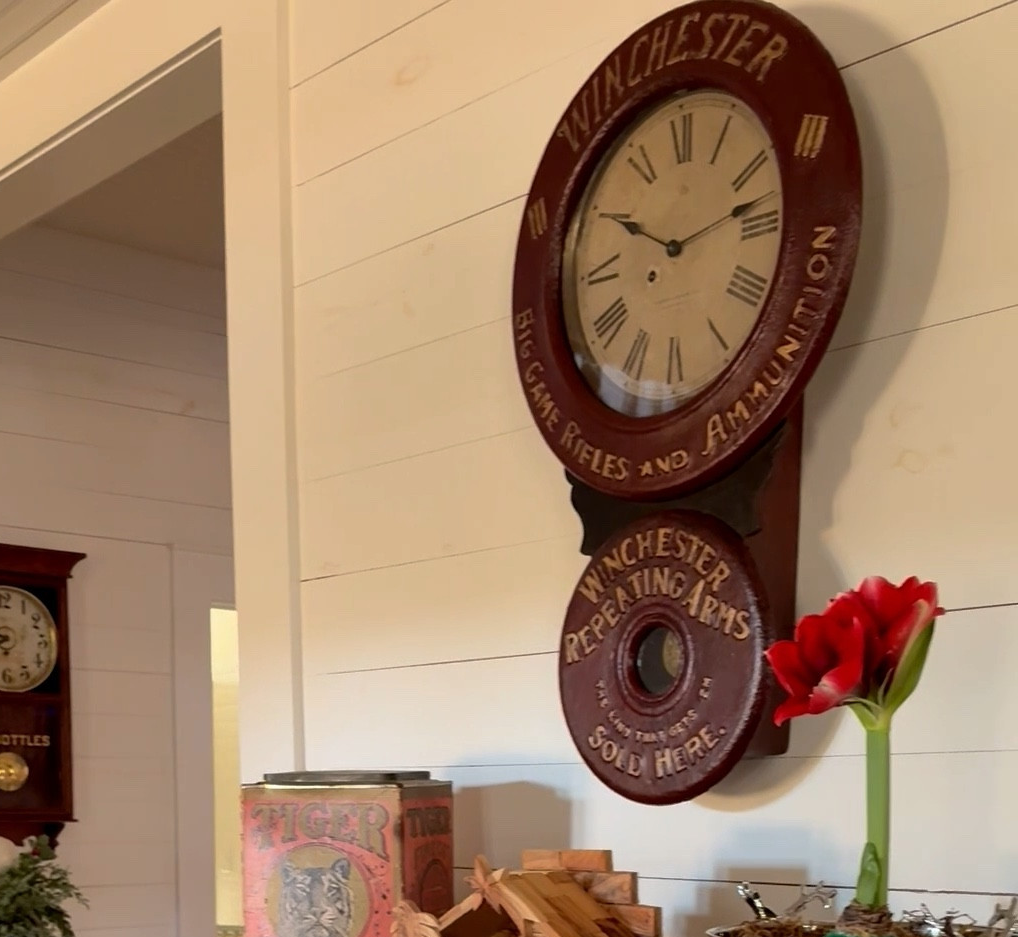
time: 10:12
